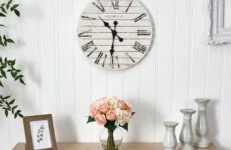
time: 10:31
